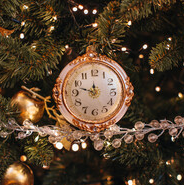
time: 11:47
